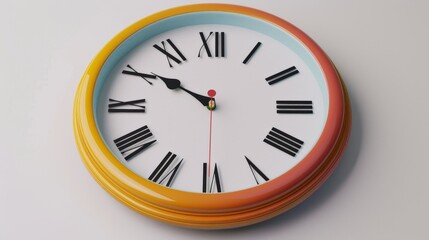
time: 9:50
